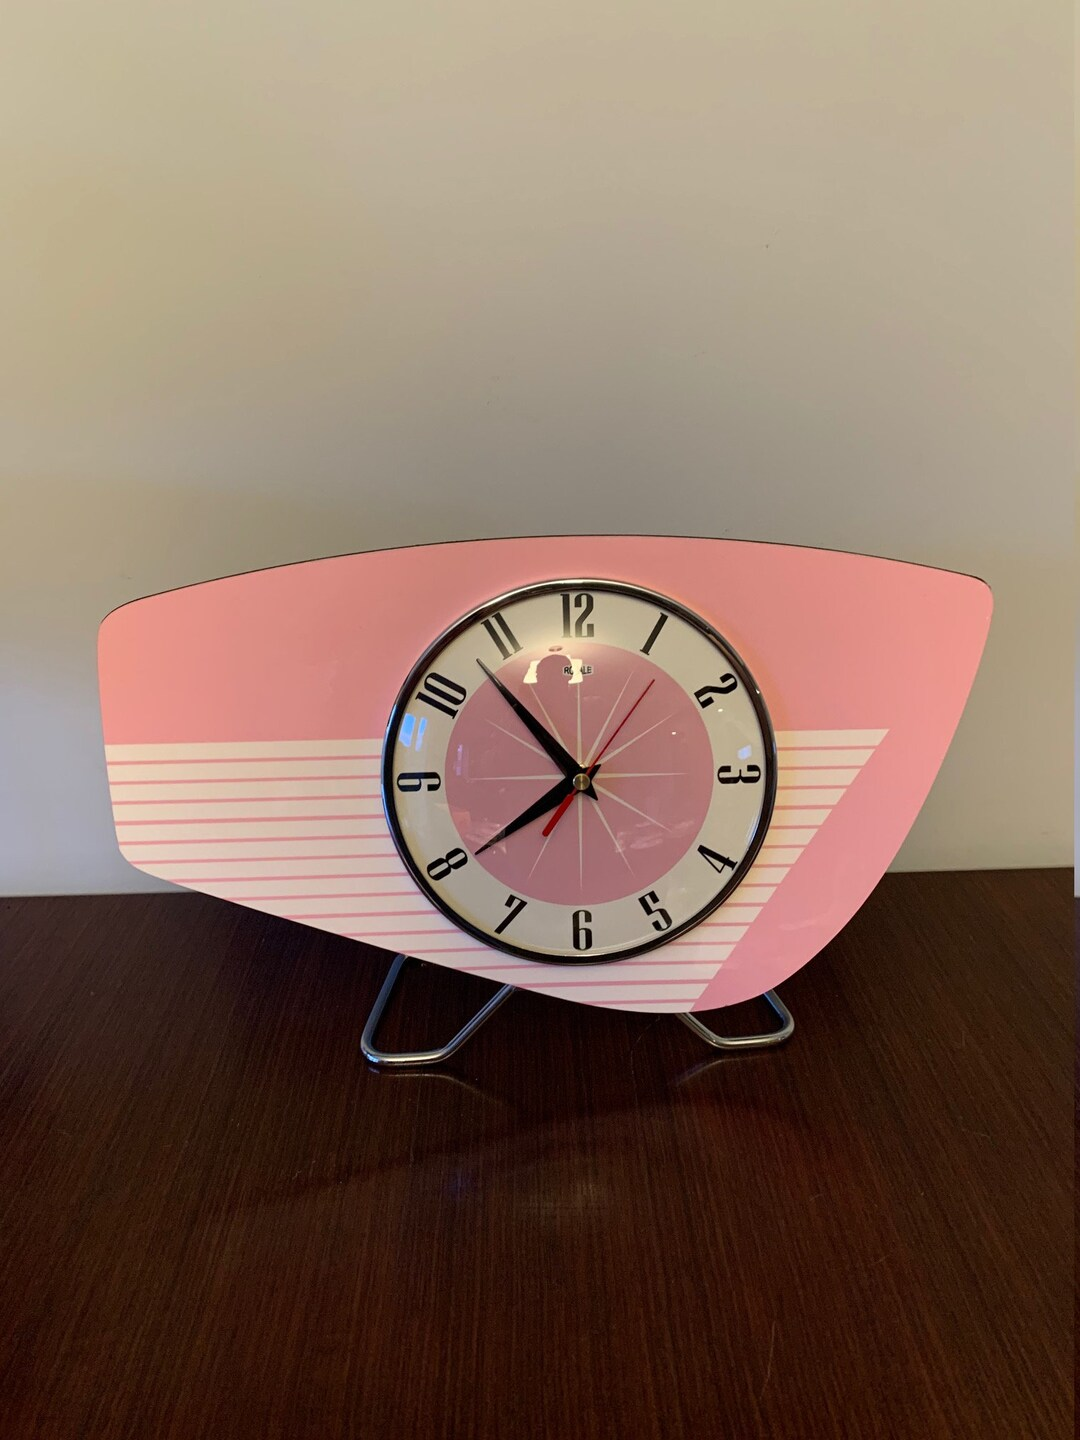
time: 7:53
